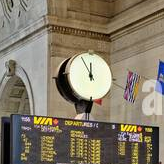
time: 11:55
